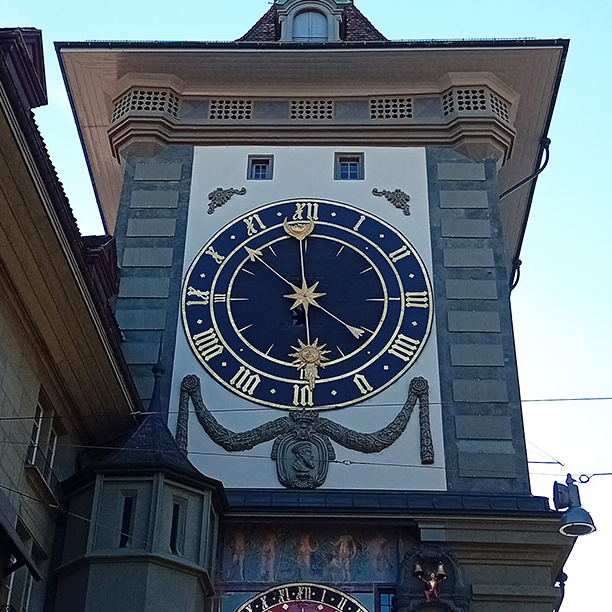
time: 5:59
